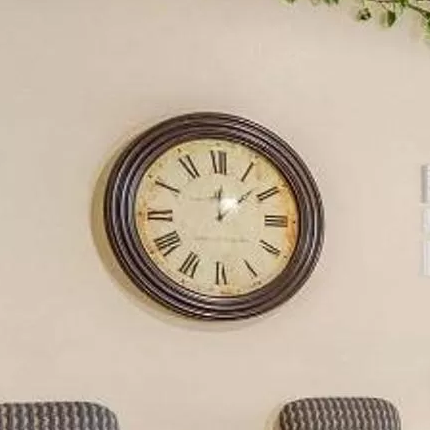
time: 12:07
